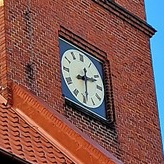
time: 2:29
